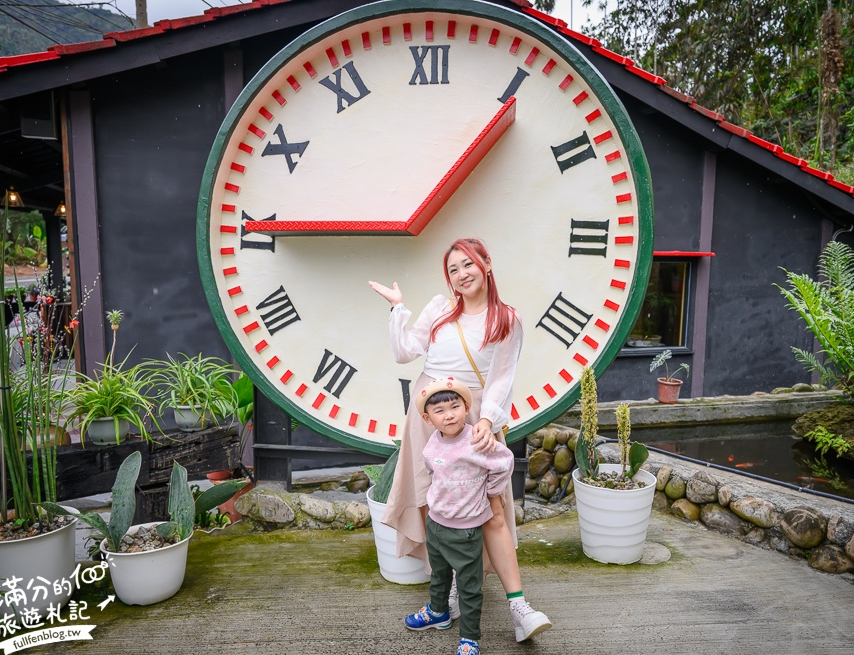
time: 4:45
